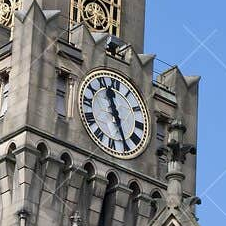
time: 11:25
